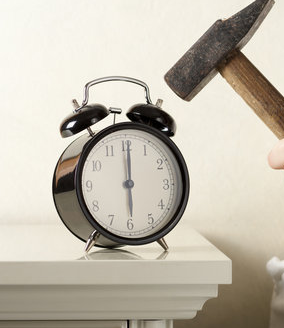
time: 6:00
